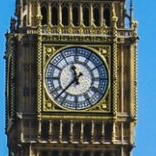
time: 11:37
